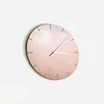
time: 3:08
